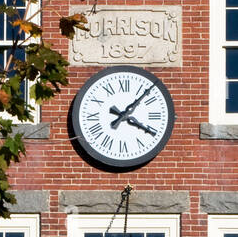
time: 4:07
